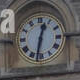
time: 12:32
